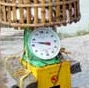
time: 3:47
